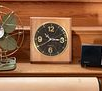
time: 10:39
